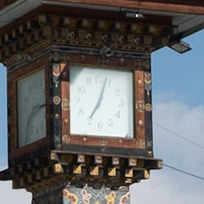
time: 7:03
